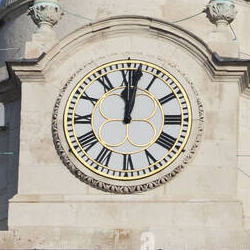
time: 12:01
